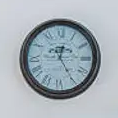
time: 12:24
